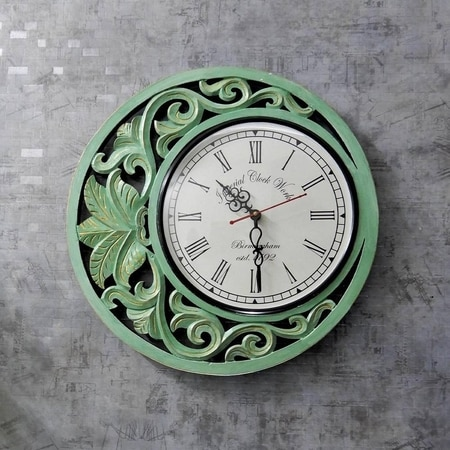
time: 10:29
